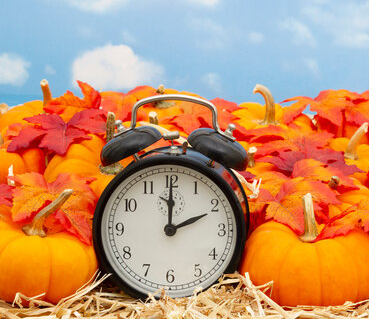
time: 2:00
